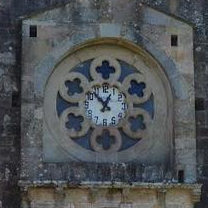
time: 12:53
